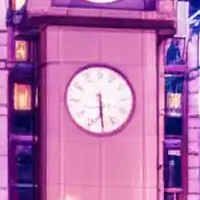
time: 5:29
